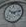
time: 10:13
